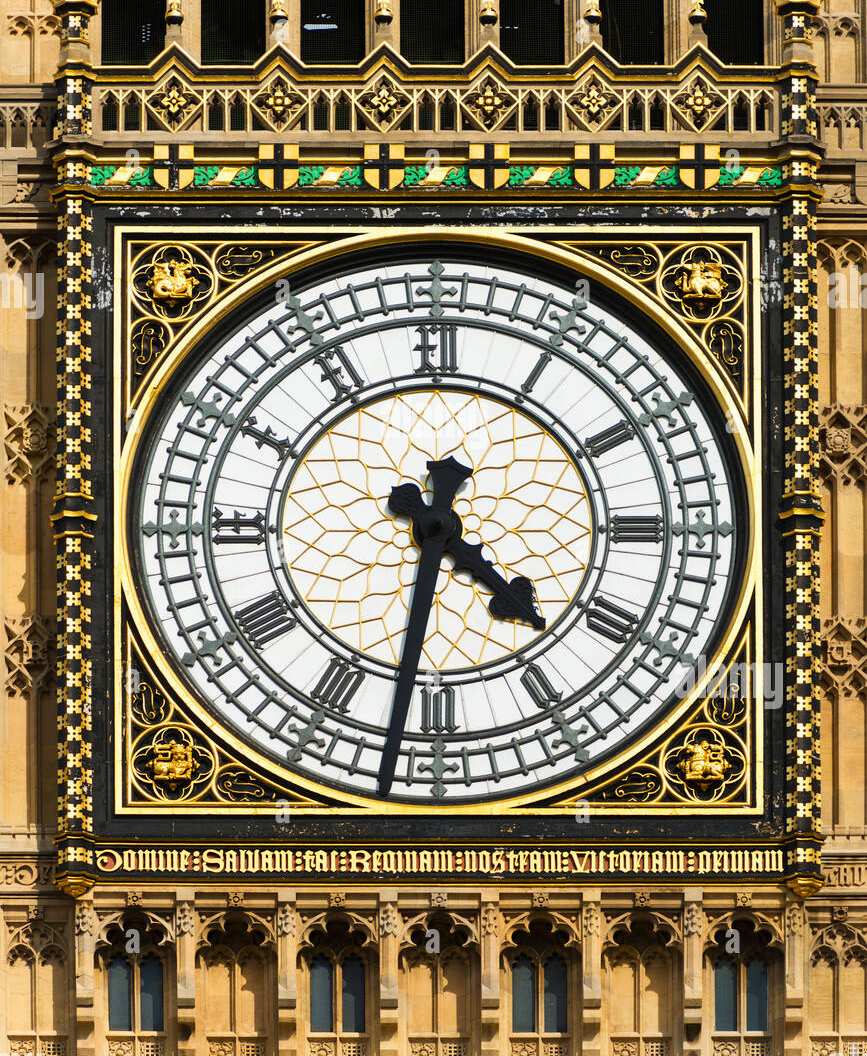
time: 4:31
